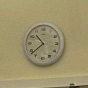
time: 10:38
